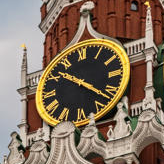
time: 10:21
